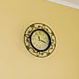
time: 11:18
